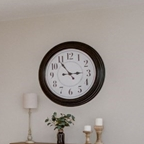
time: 2:53
